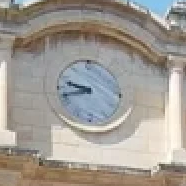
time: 9:42
